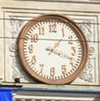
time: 1:18
